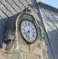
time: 7:32
